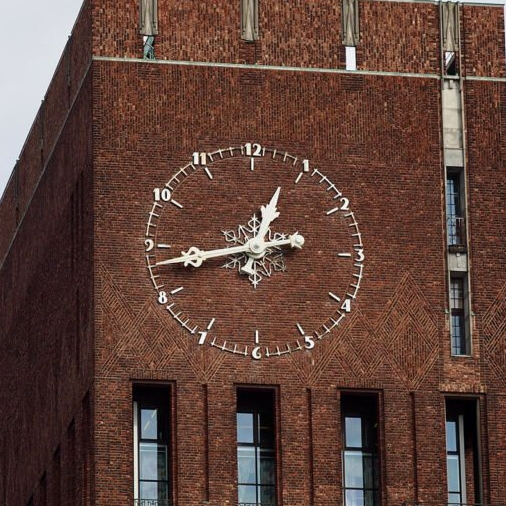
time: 12:43
